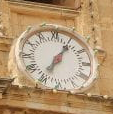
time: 7:05
